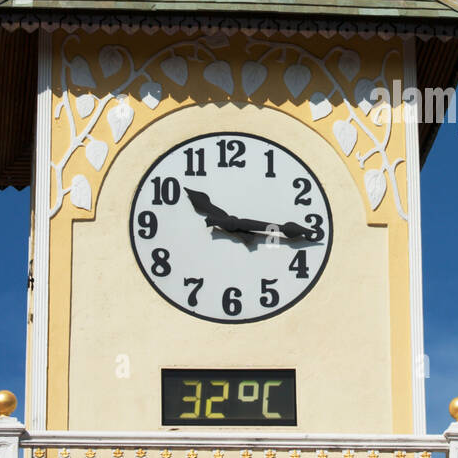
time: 10:15
